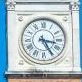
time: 3:24
